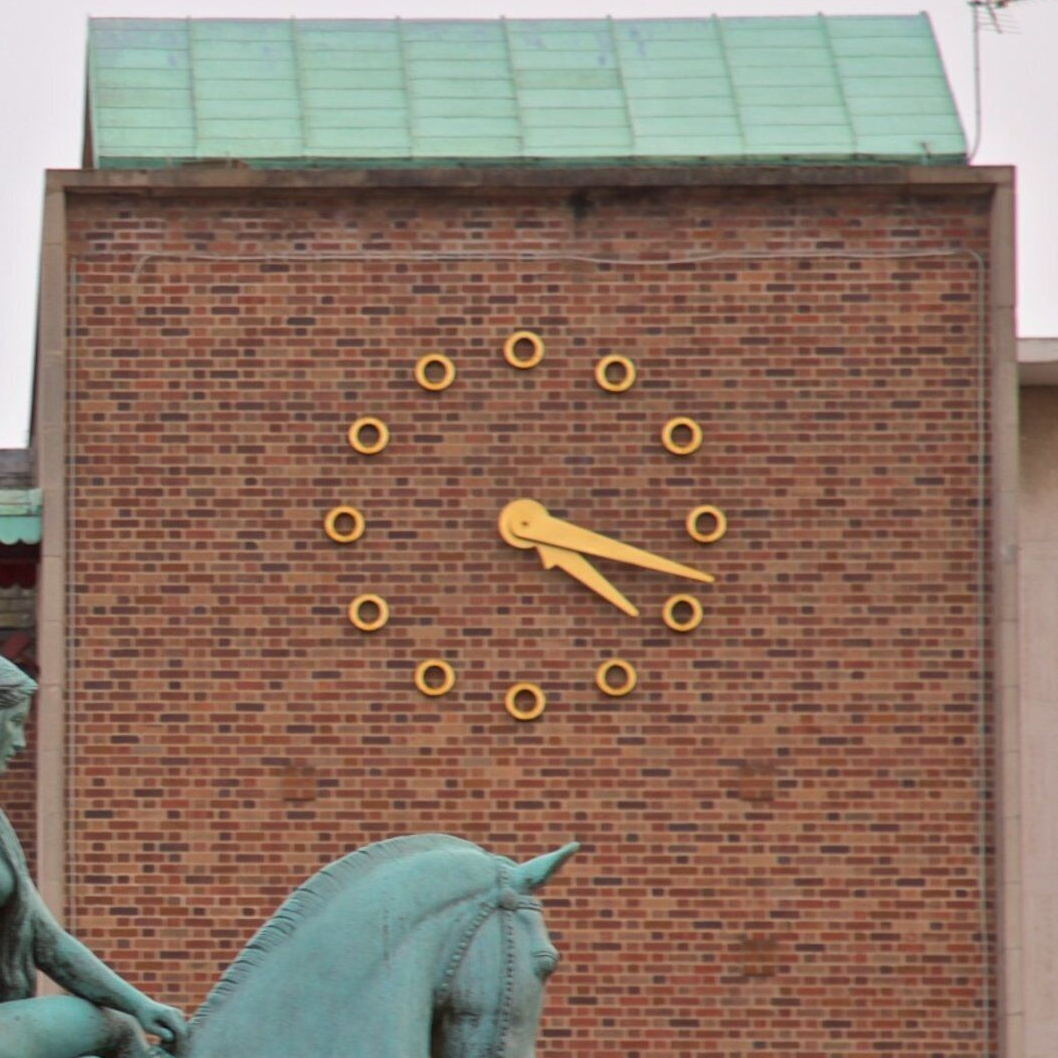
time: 4:17
